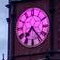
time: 7:23
